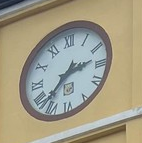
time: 2:37
